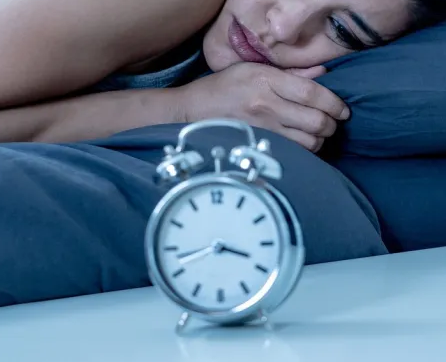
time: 3:42
